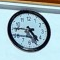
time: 4:45
